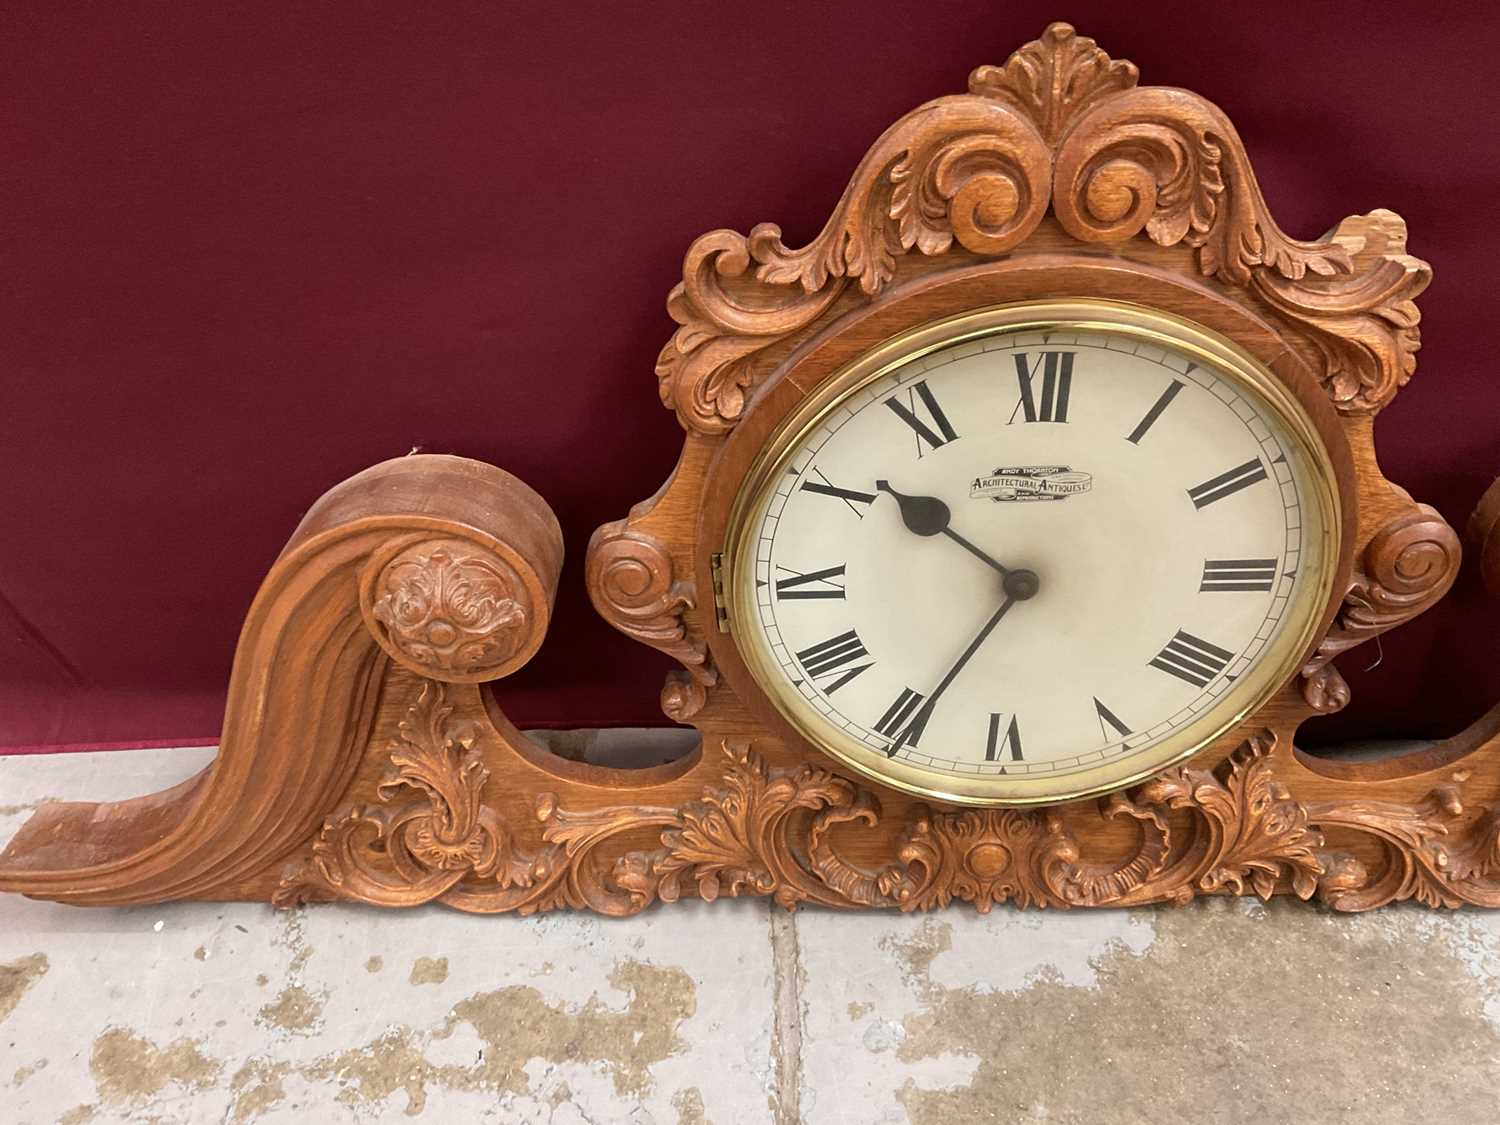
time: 10:34
